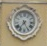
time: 7:25
